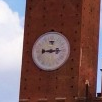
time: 9:14
